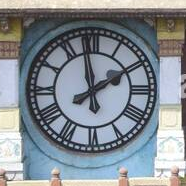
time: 1:58
